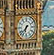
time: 6:37
